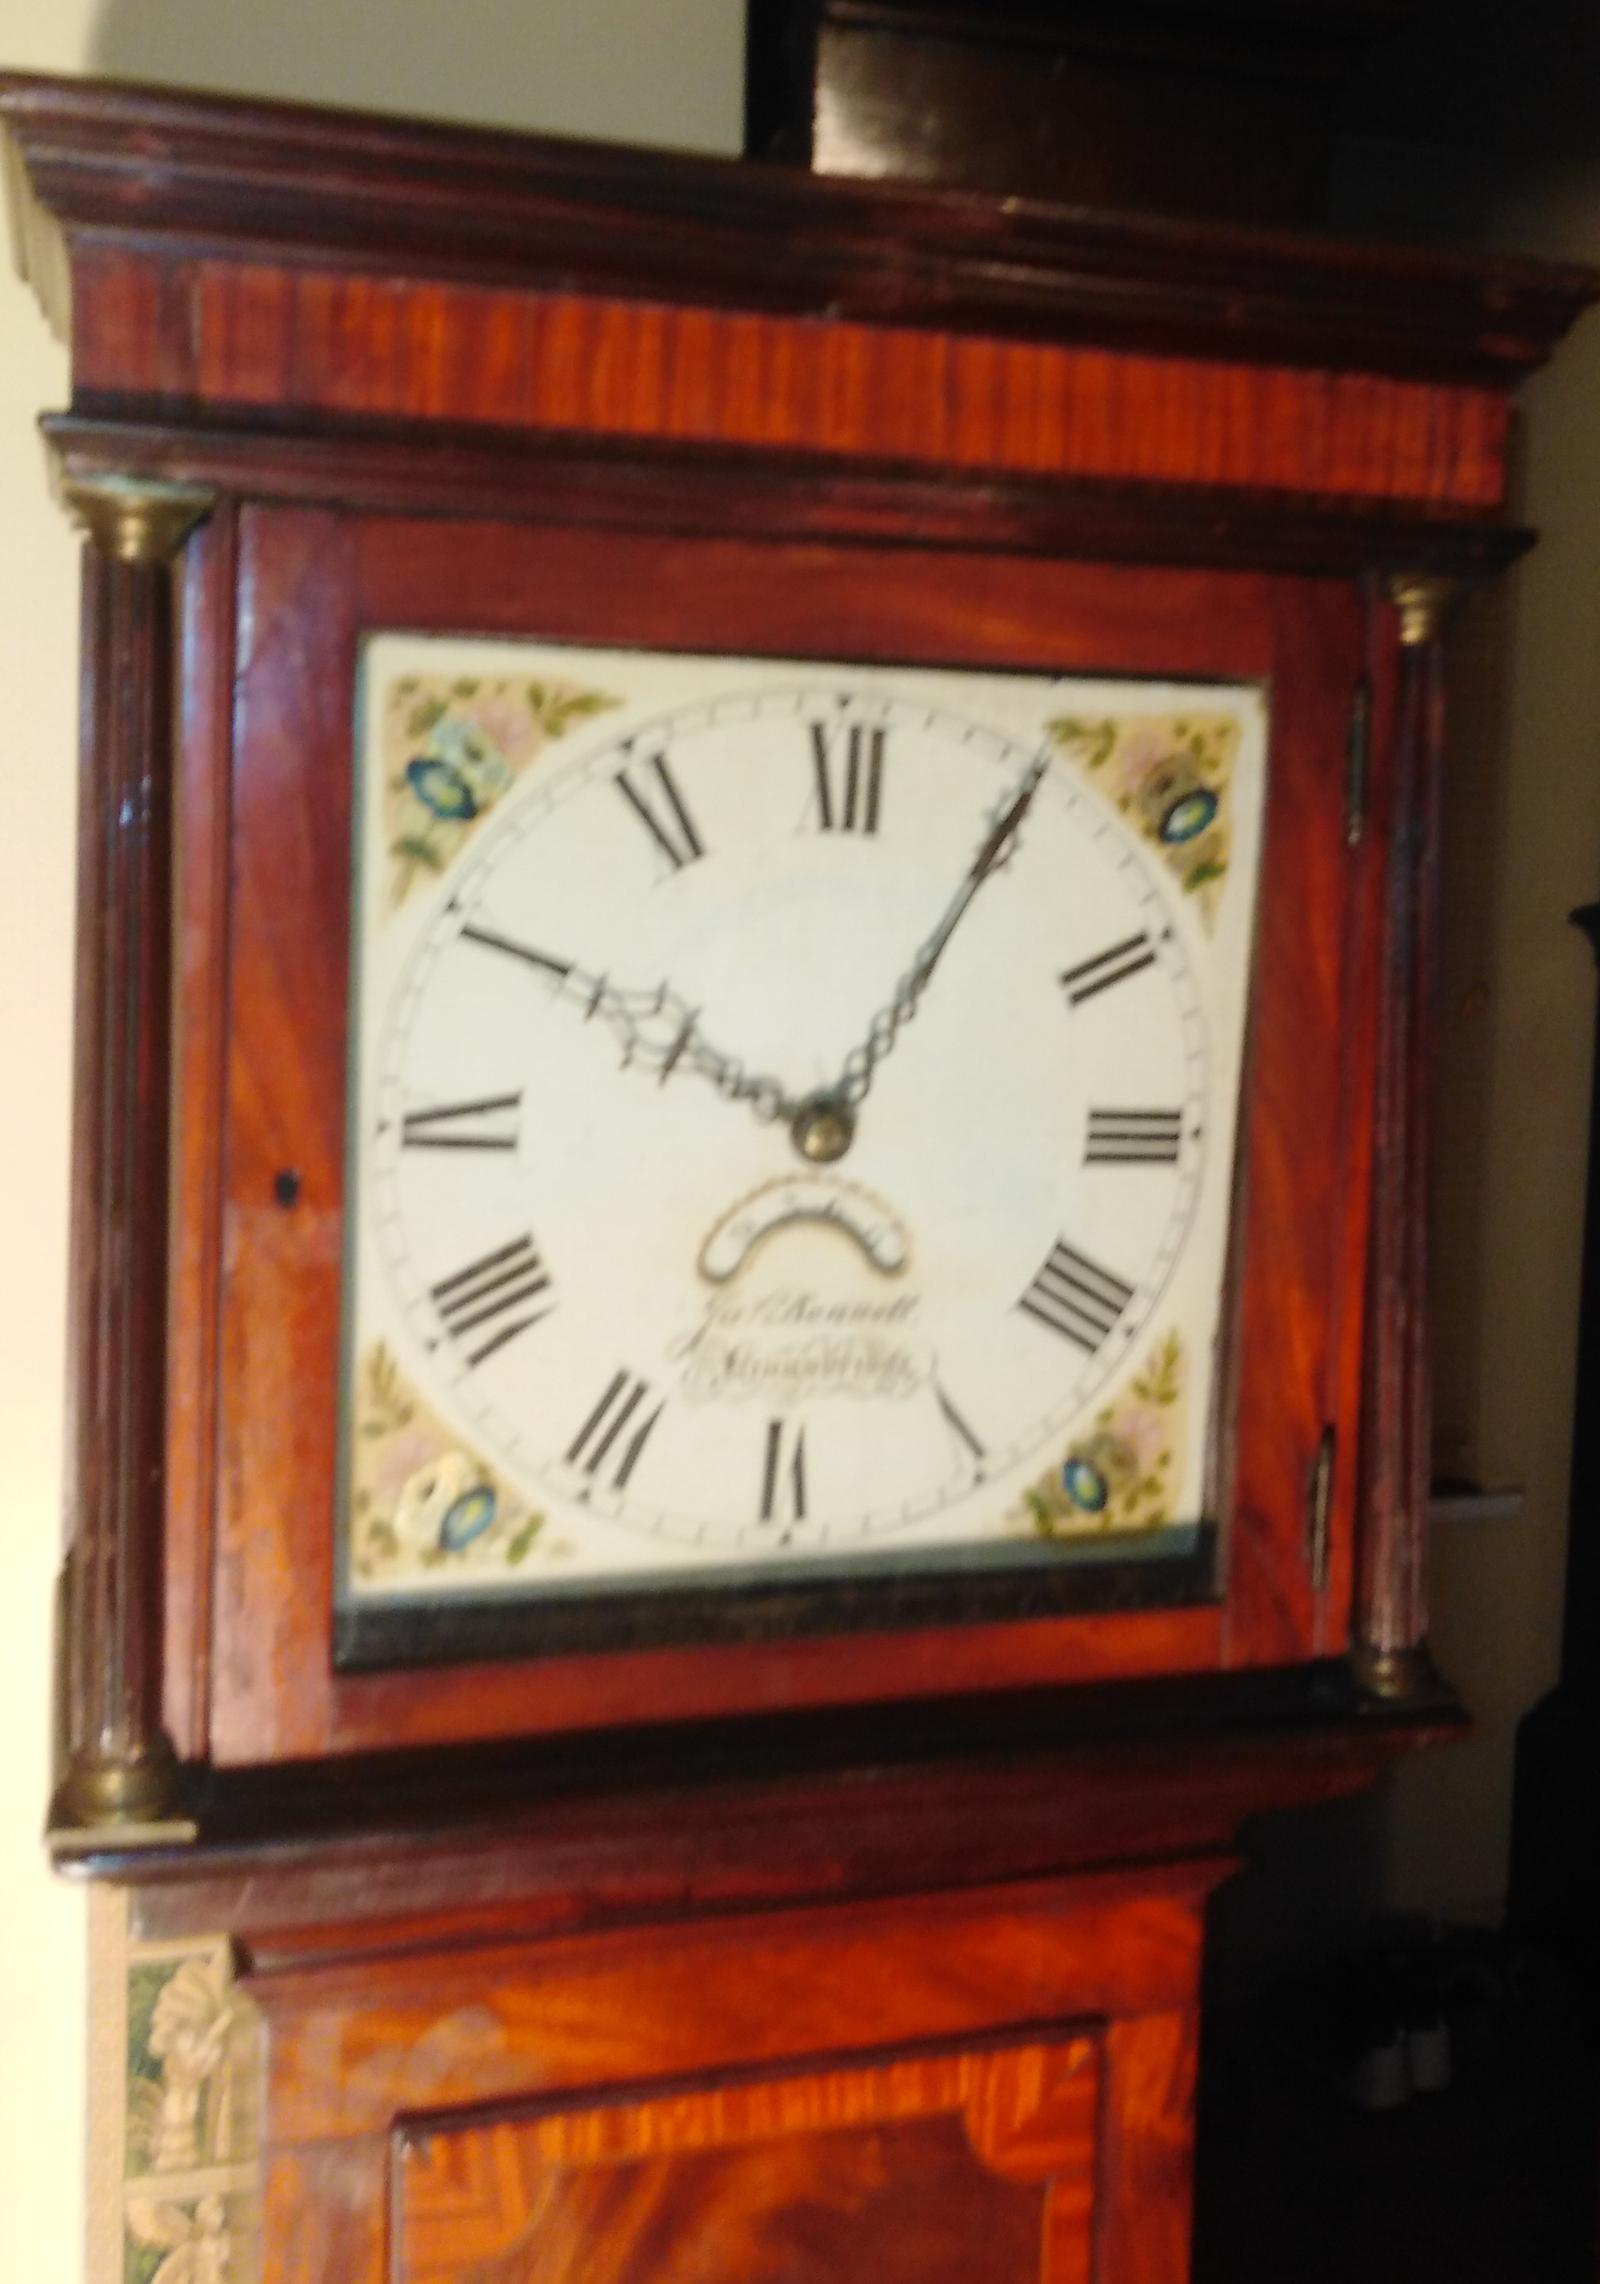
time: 10:05
